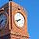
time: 7:41
